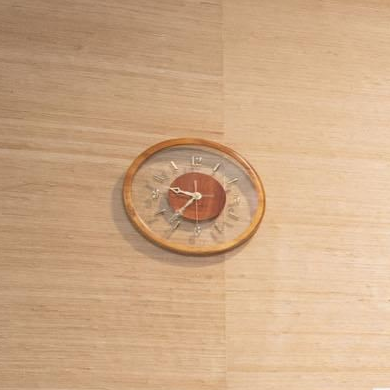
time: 9:36
